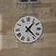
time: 1:22
